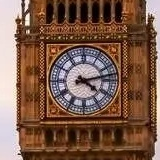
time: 4:12
